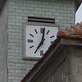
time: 7:01
